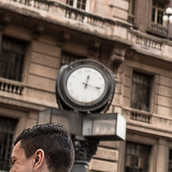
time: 12:17
